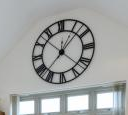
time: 1:37
